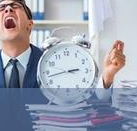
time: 2:42
